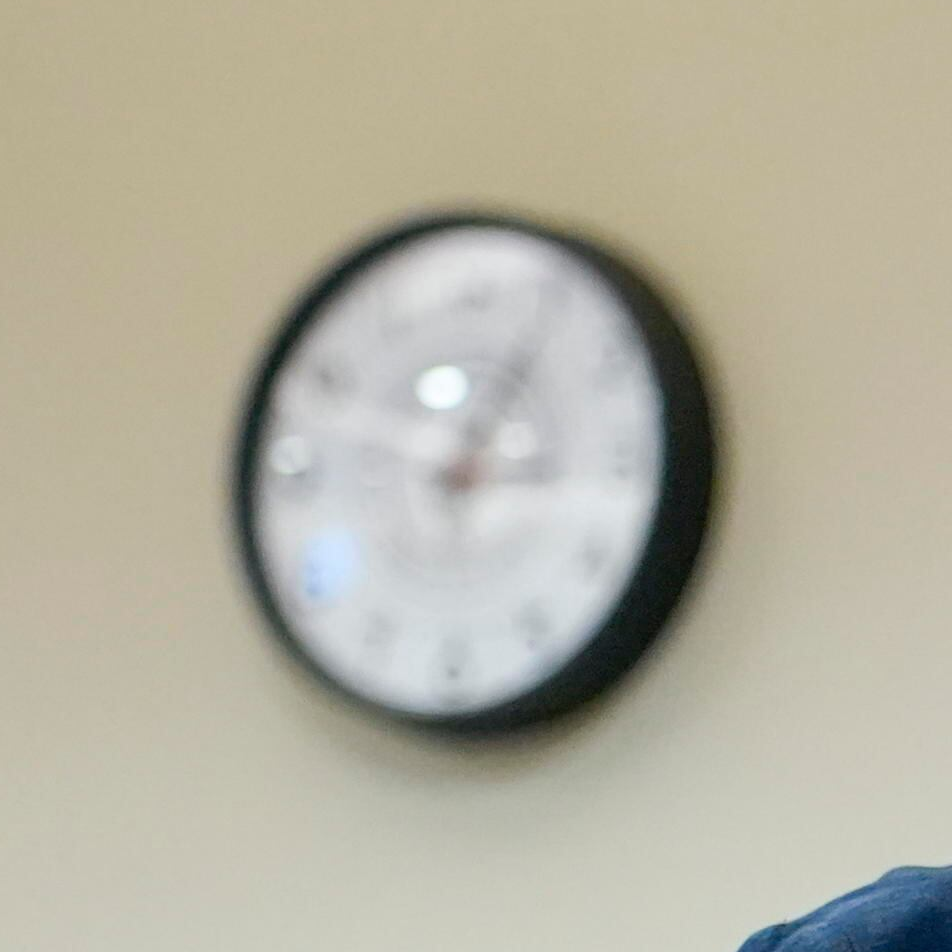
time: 3:05
